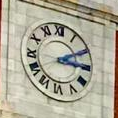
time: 3:10
